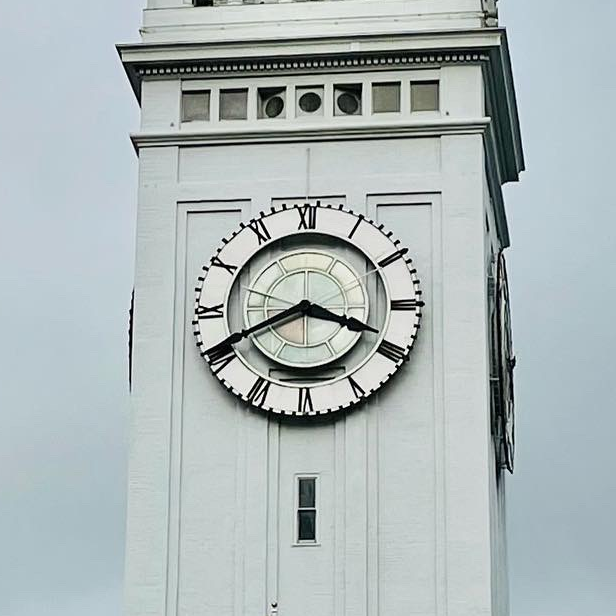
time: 3:41
